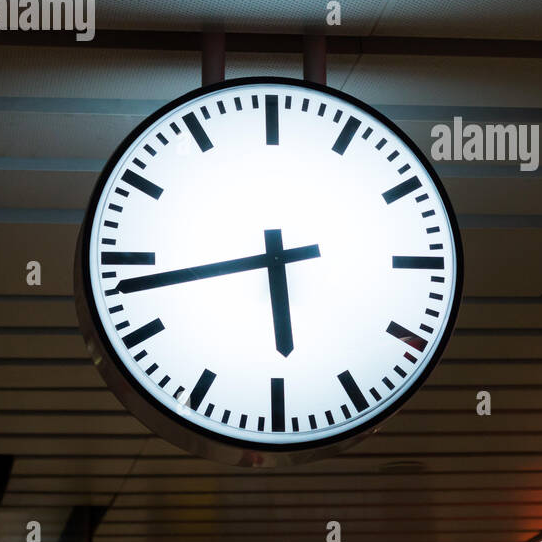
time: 5:43
